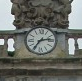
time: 7:13
